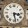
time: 3:28
